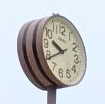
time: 9:39
